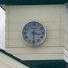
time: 3:30
